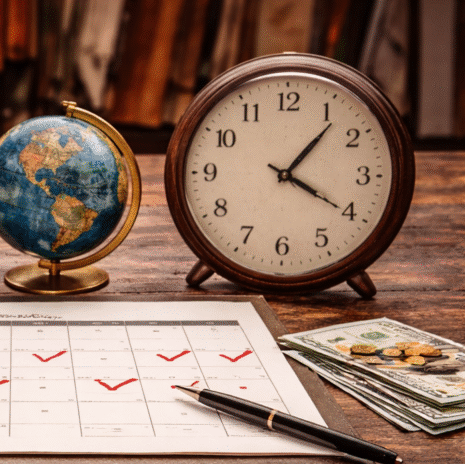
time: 1:20
